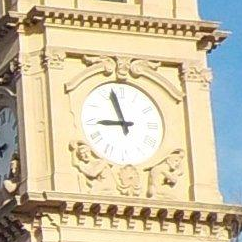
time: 8:57
